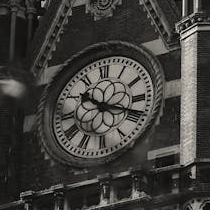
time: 10:18
